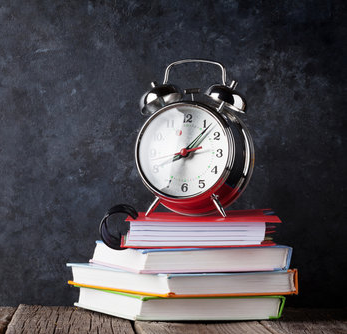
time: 8:07
